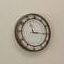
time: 11:15
